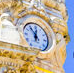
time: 11:53
